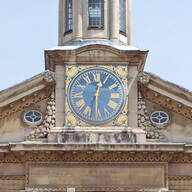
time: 12:30
